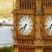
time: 6:38
